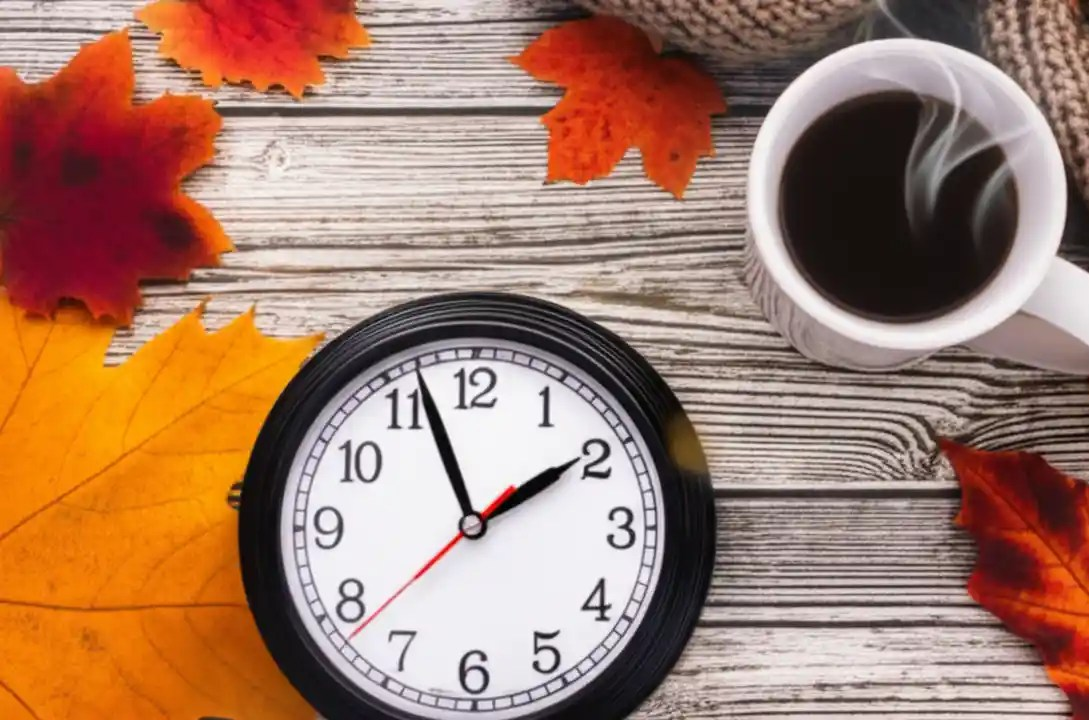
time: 1:56
